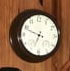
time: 6:48
